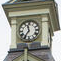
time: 11:35
